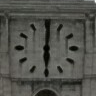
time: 6:00
